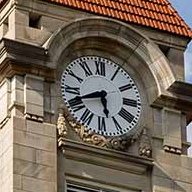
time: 5:41
